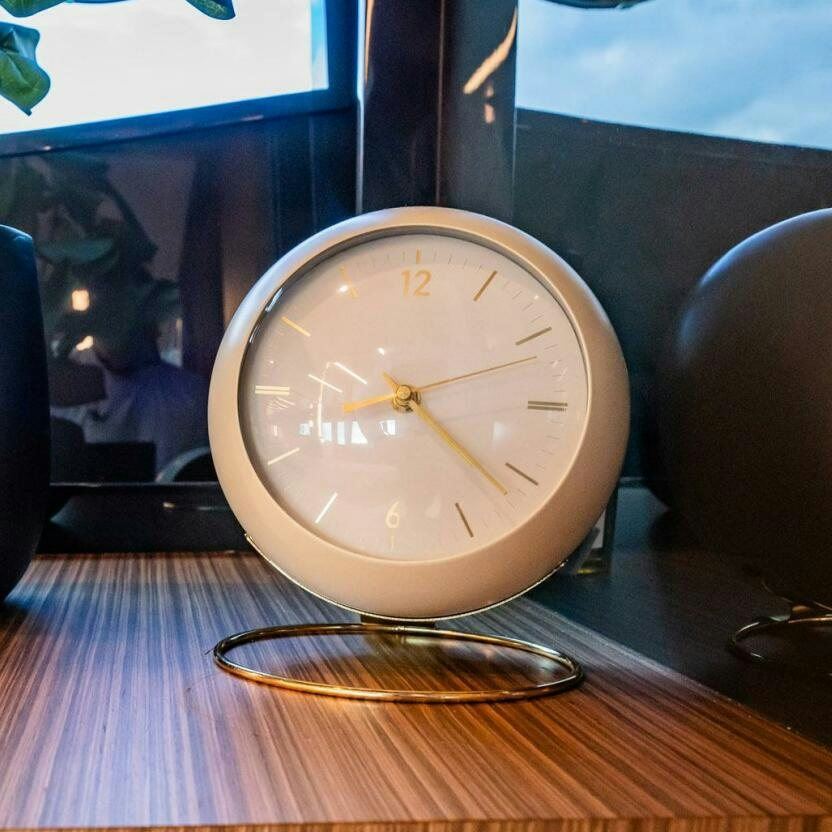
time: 8:21
